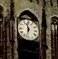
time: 11:32
